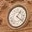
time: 1:21
